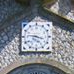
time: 3:46
